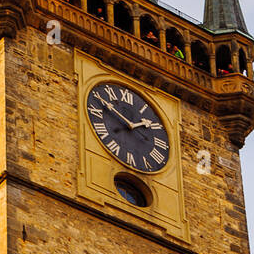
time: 1:50
